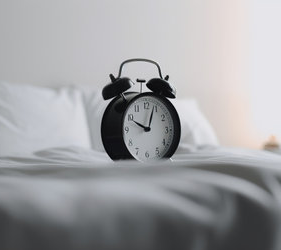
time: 10:03
